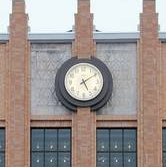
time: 5:09
